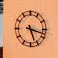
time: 5:17
